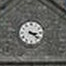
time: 3:21
